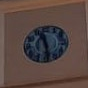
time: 11:28
